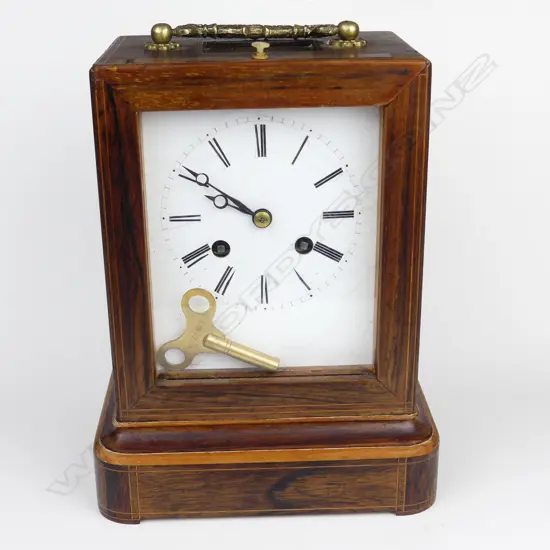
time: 9:50
